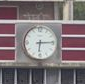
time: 6:14
